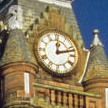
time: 12:12
